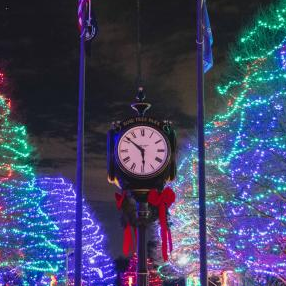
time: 5:51
